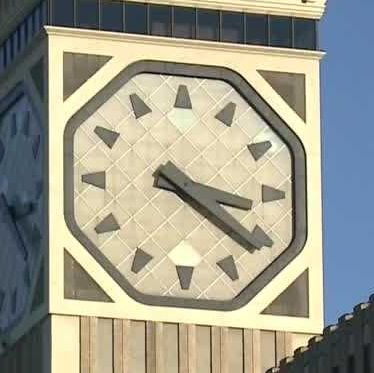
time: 3:21
